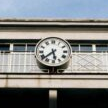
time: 5:38
